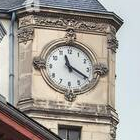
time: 11:19
